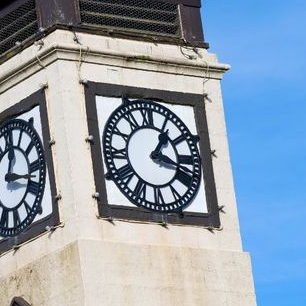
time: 1:18
